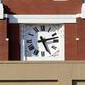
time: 5:12
